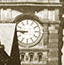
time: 8:45
